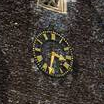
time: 3:32
